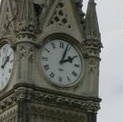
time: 2:03
